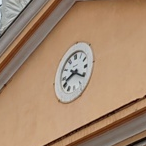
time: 8:20
